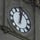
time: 12:02
